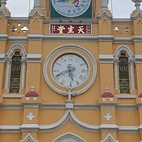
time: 5:41
